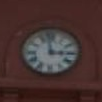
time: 2:58
